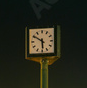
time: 5:50
